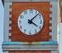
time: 4:07
